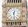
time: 12:28
